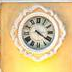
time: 4:21
